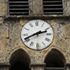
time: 2:41
